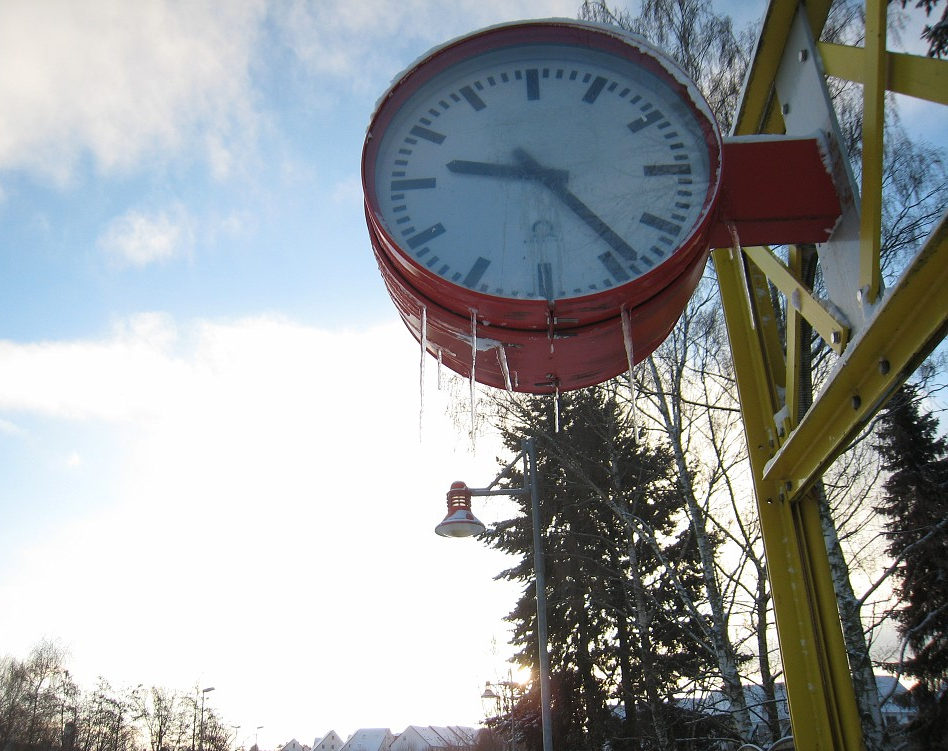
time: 9:23
